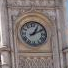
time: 1:10
